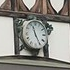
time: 11:25
